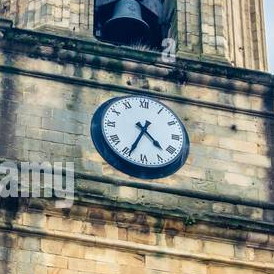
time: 4:34
